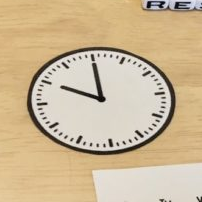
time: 10:00
